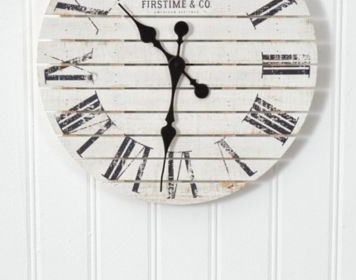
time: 10:31
